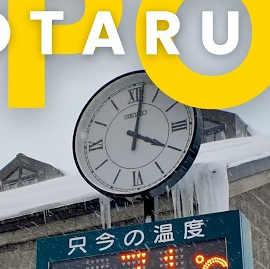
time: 4:02
